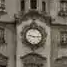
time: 9:14
